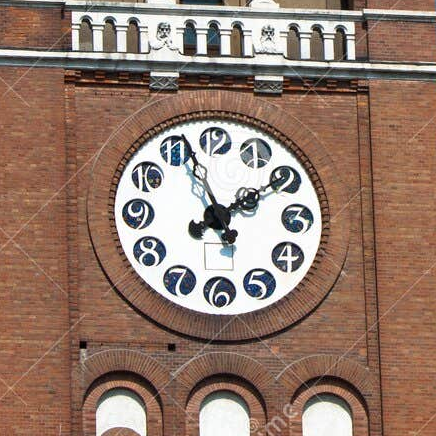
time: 1:56
